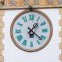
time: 1:21
